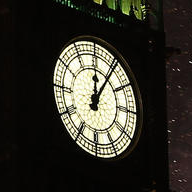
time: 12:05
